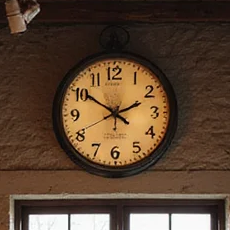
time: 1:50
